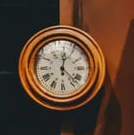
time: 12:22
